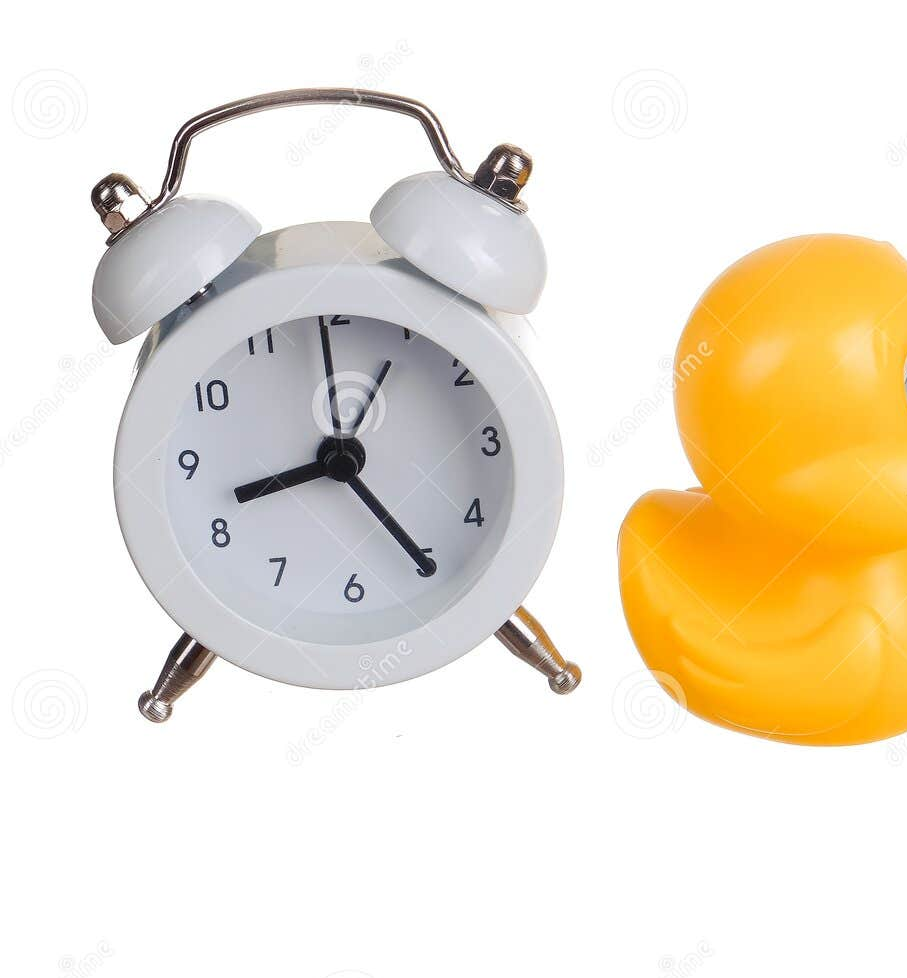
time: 8:24
